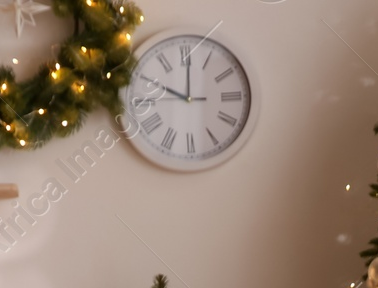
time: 10:00
